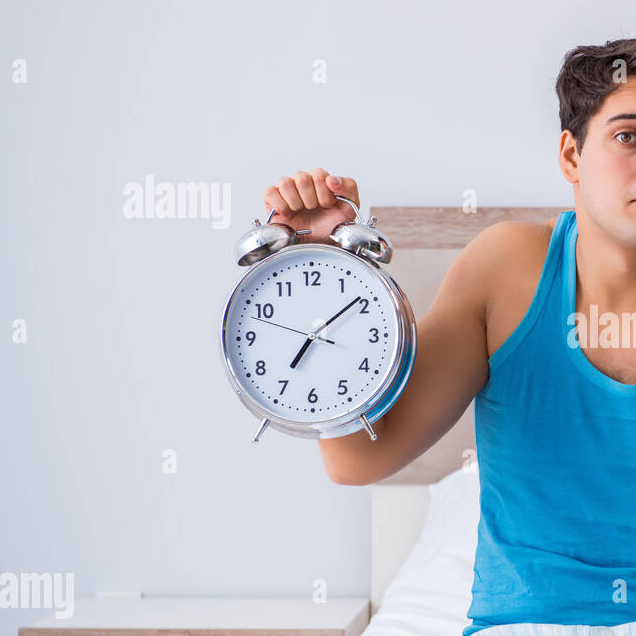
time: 7:08
